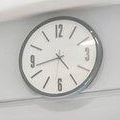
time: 4:42
